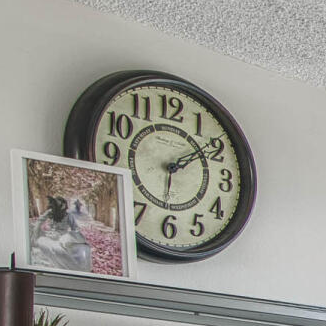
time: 2:09
